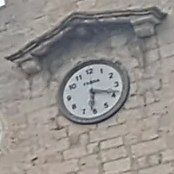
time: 6:18
